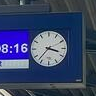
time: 3:37
